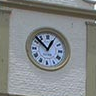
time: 12:52
